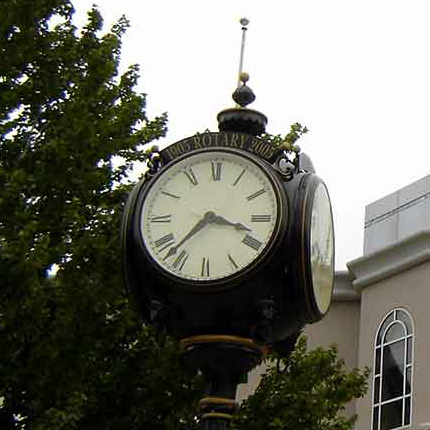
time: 3:37
